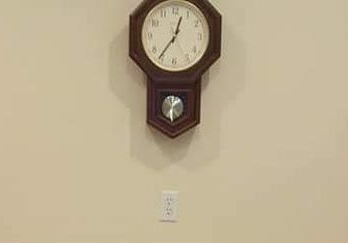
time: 12:35
